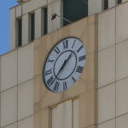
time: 1:37
